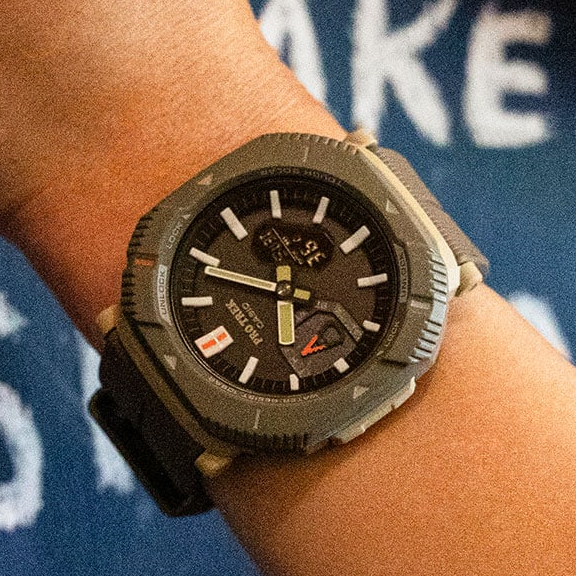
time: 5:48
